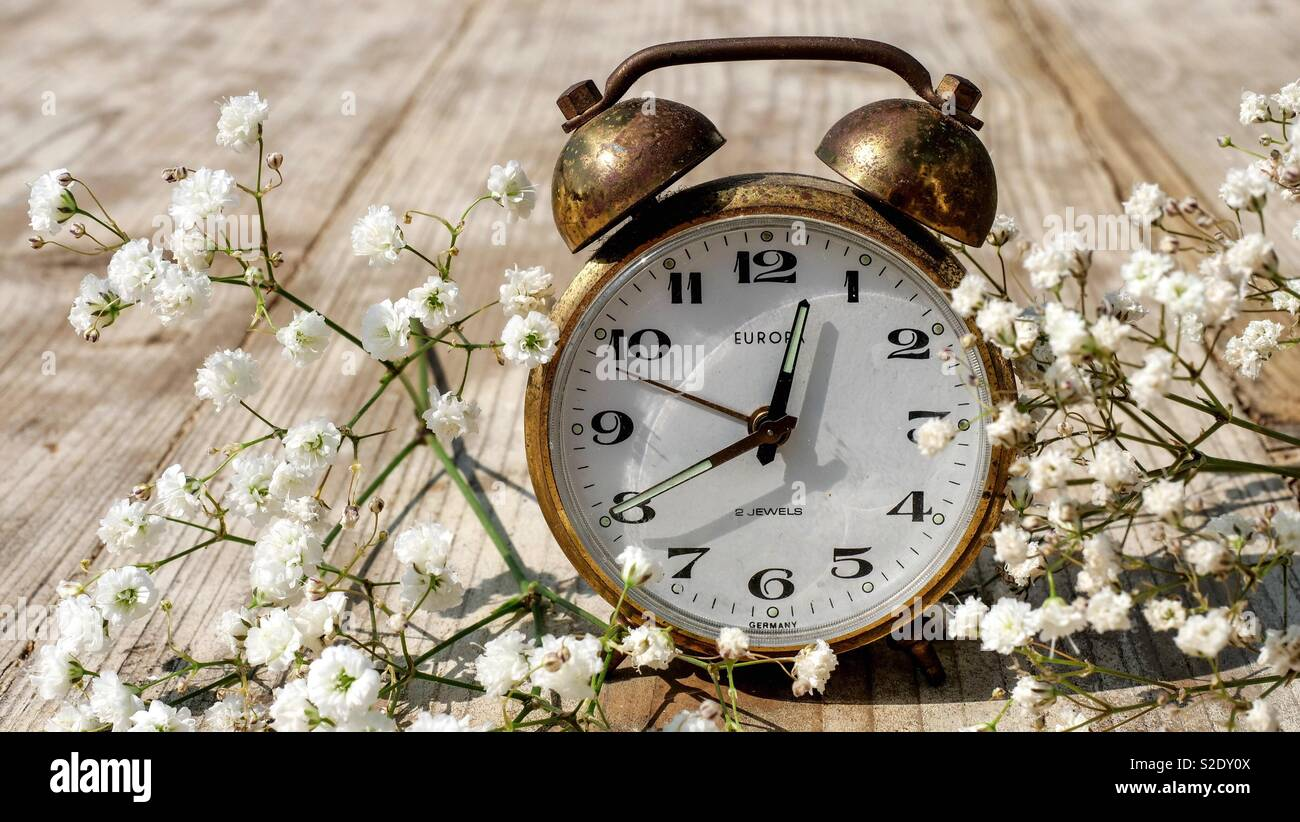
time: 8:02
